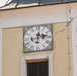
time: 12:13
